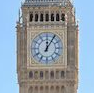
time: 12:05
